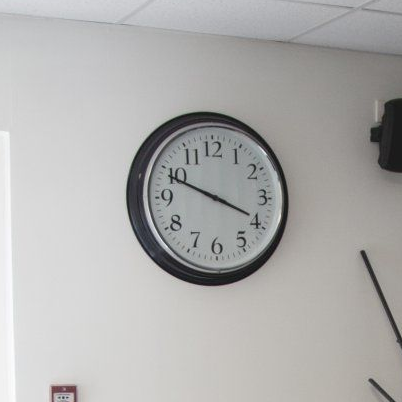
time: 3:49
